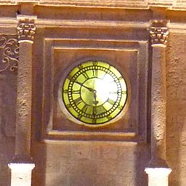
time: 5:49
